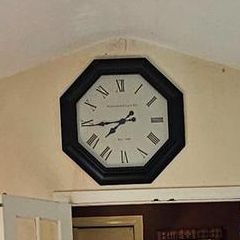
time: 7:44
